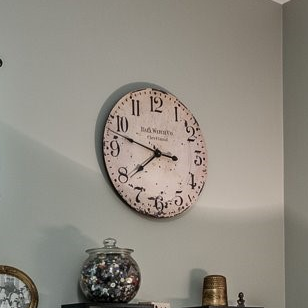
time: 7:47
